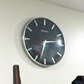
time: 2:32
